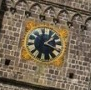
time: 1:18
